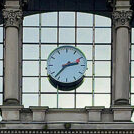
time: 2:37
